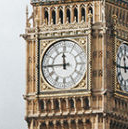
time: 11:44
